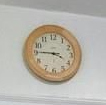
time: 3:45
